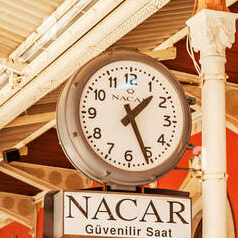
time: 1:25
